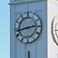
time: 2:43
